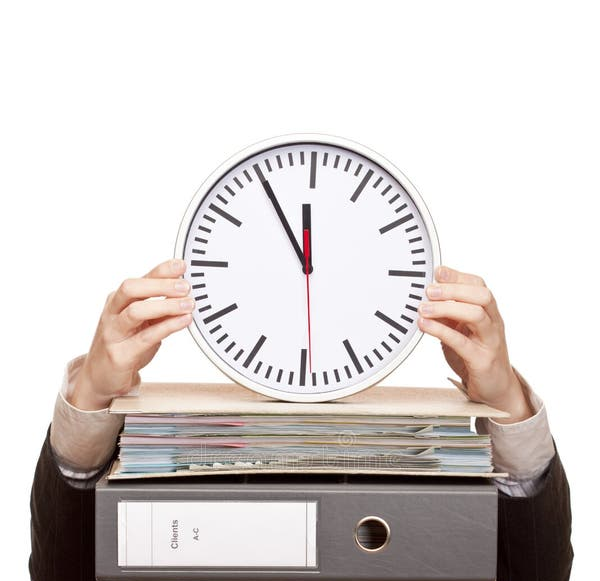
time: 11:54
